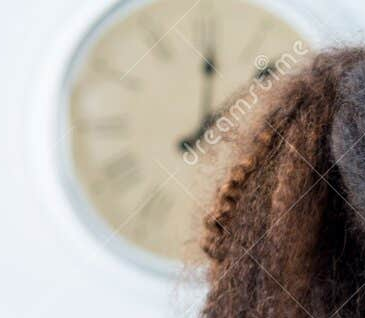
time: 12:07
